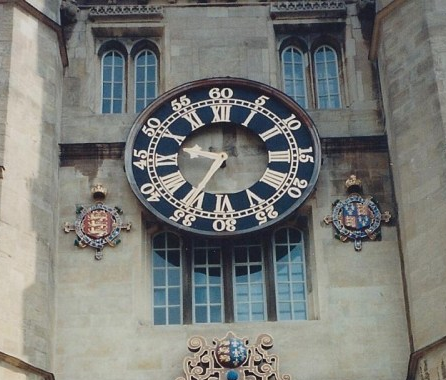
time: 9:35
